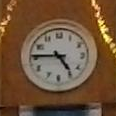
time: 4:45
